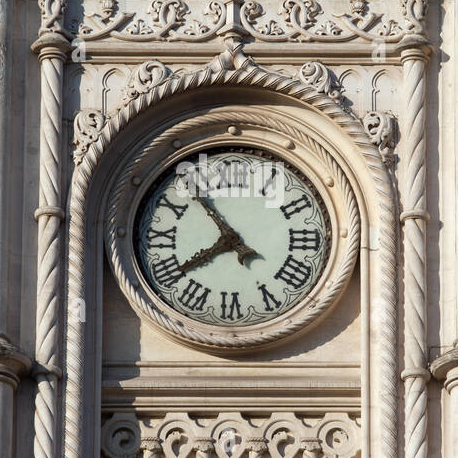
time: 7:53
